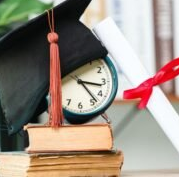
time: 3:23
